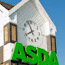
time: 7:55
